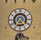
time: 4:35
